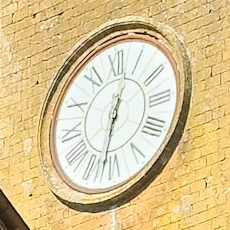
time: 12:32
